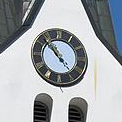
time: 10:53
